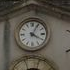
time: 4:04
